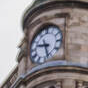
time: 9:27
